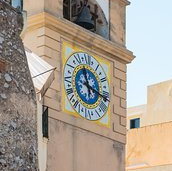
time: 11:17
